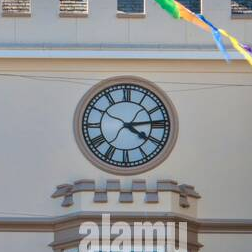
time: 4:13
